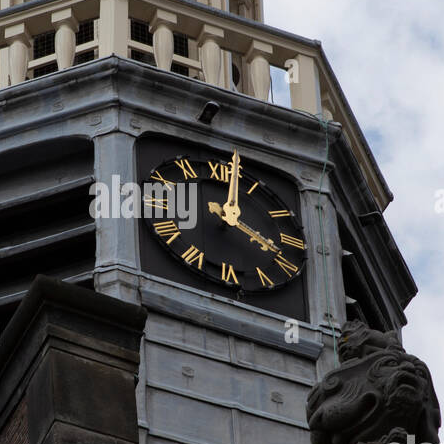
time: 4:01
